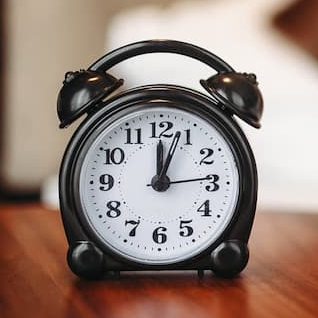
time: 12:03
